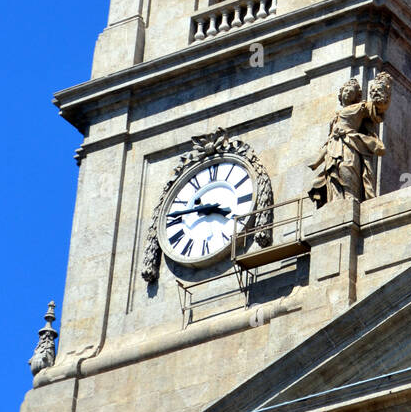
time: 3:46
